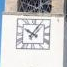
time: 10:05
